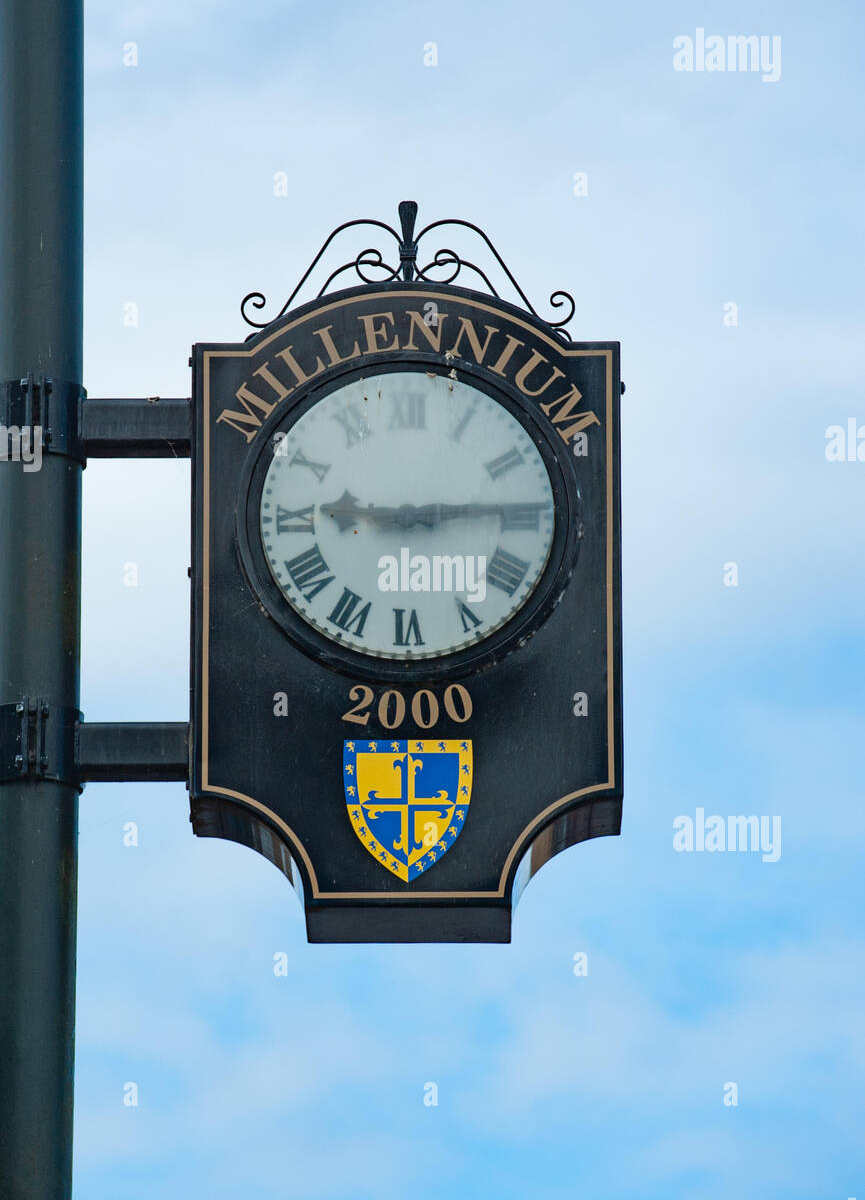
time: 9:14
